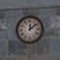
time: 12:08
